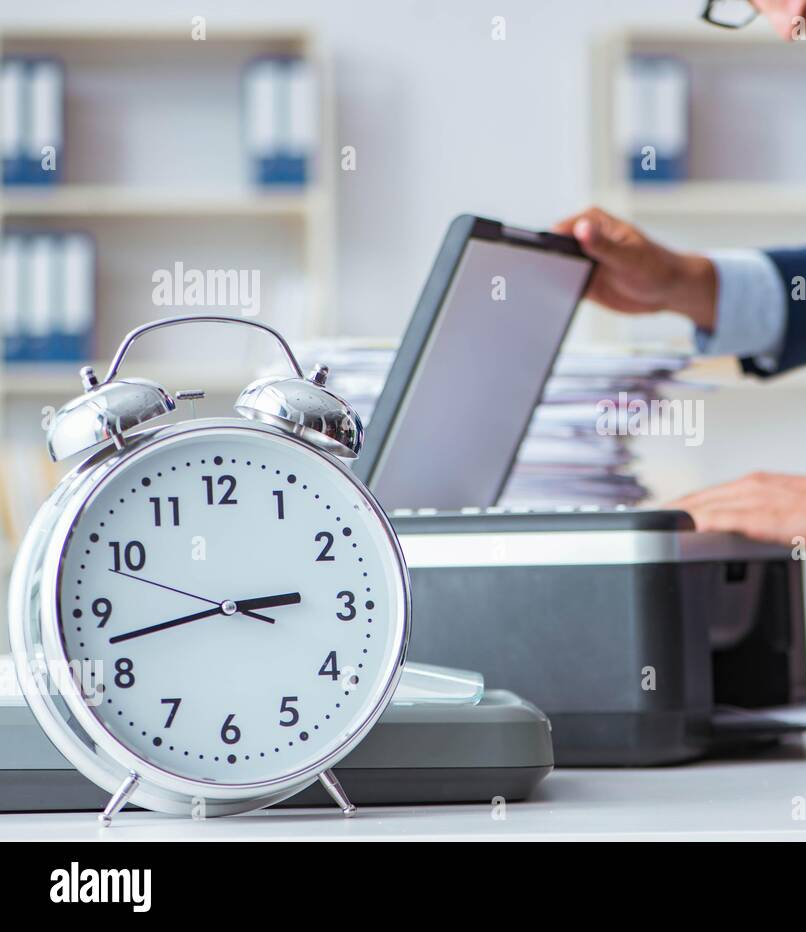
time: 2:42
